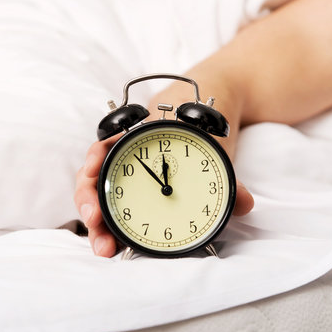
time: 11:53
